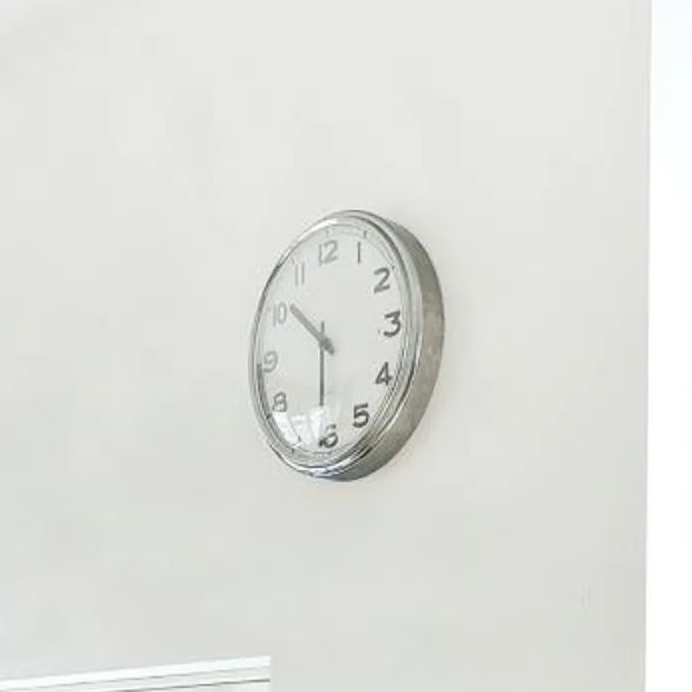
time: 5:51
